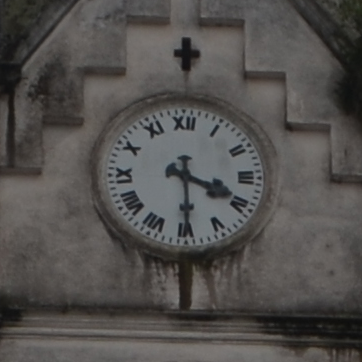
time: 3:29
